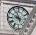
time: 9:56
